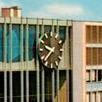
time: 9:38
